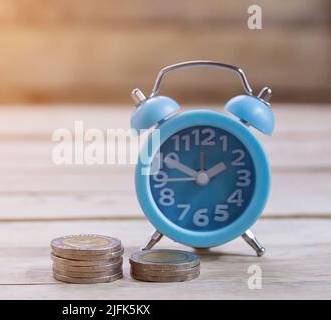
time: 1:49
